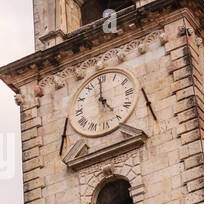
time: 4:59
